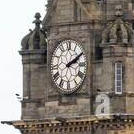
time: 2:09
